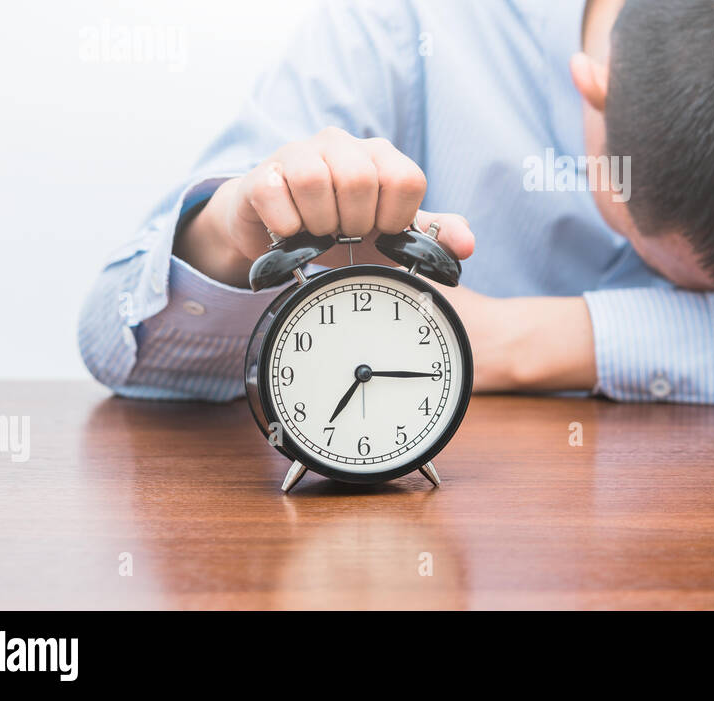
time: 7:15
